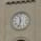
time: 11:32
